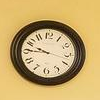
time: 9:45
